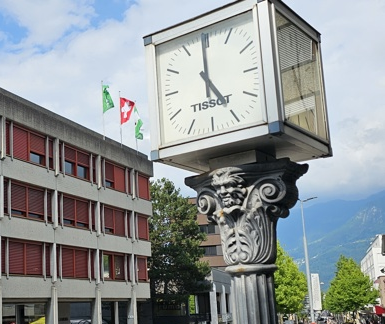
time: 4:59
